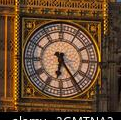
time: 6:23
